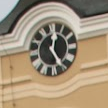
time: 12:24
